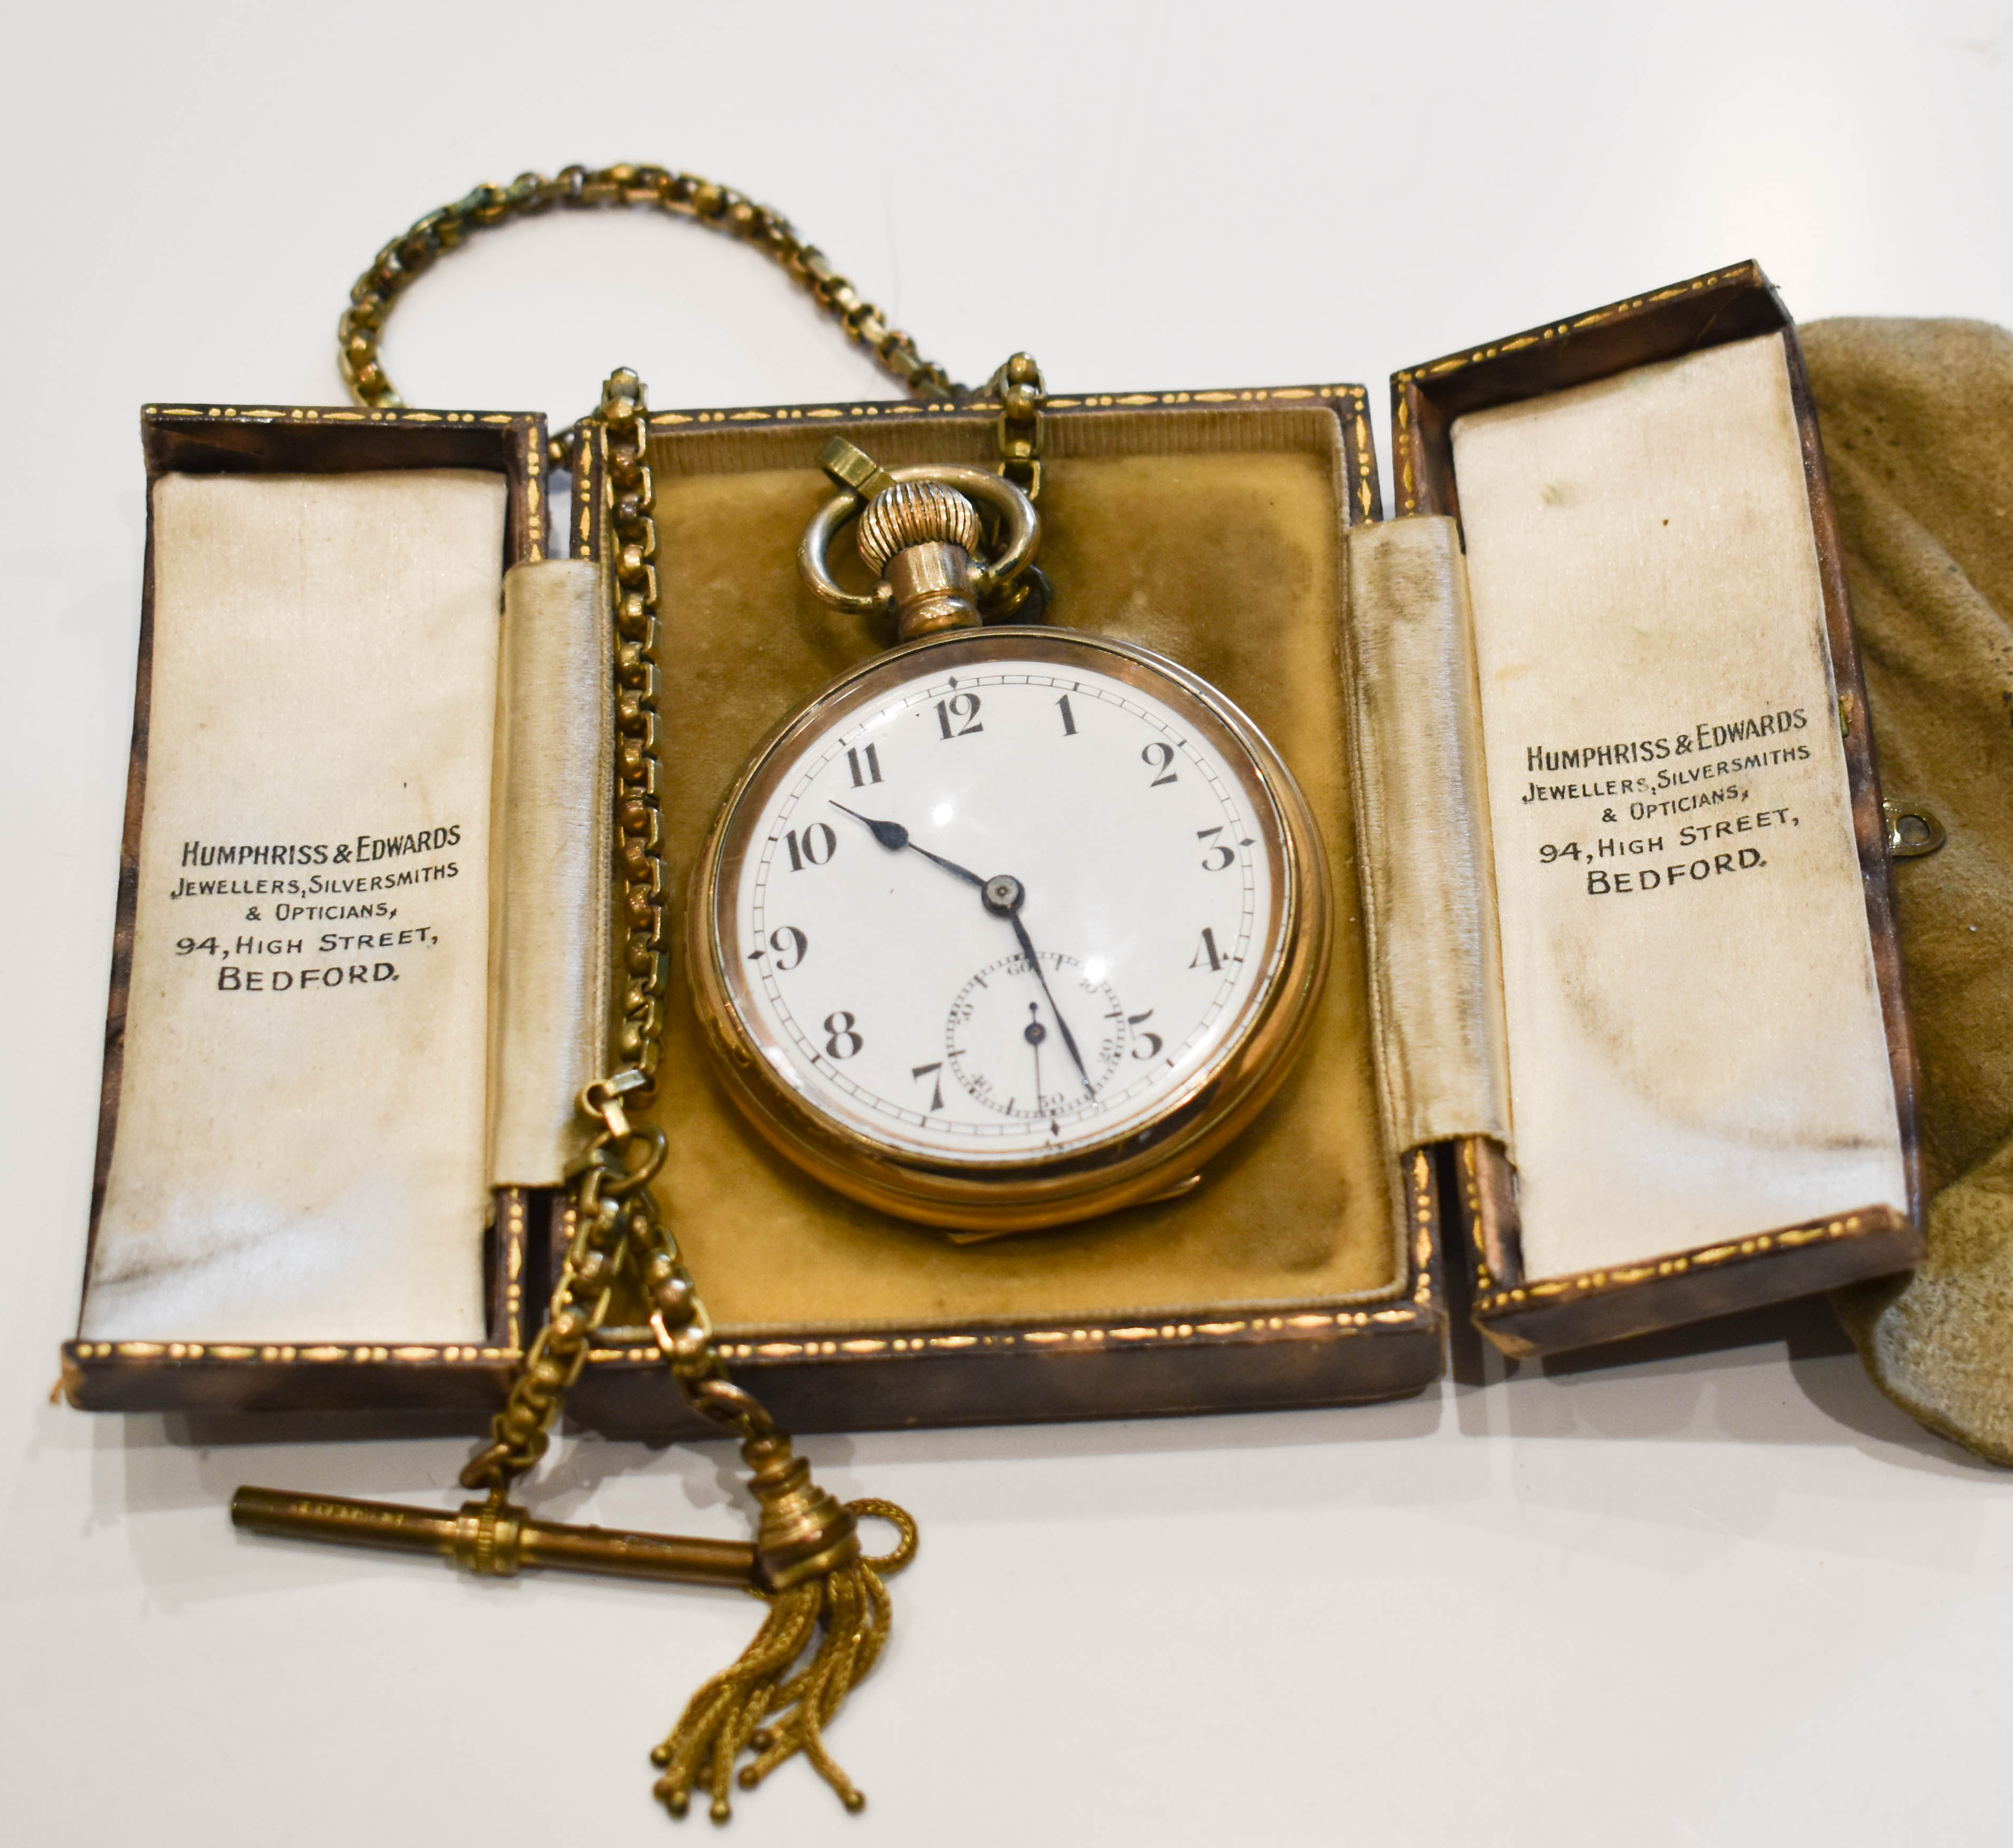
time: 10:28
